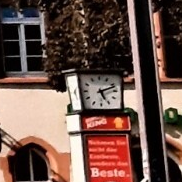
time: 5:11
